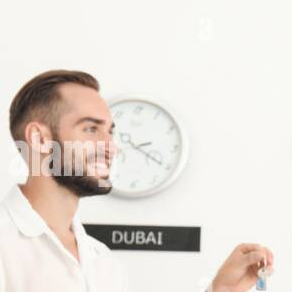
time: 2:20
